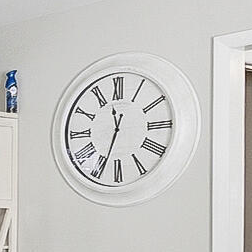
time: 11:33
